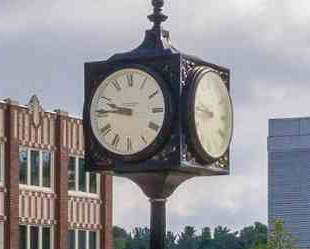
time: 9:45
